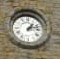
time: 1:12
